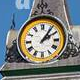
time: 2:06
